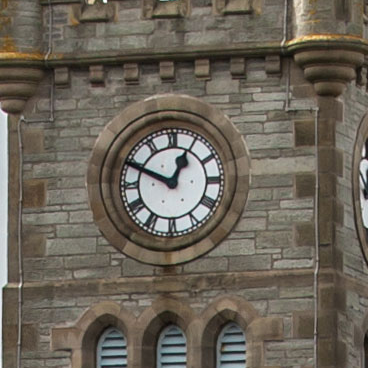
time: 12:49
